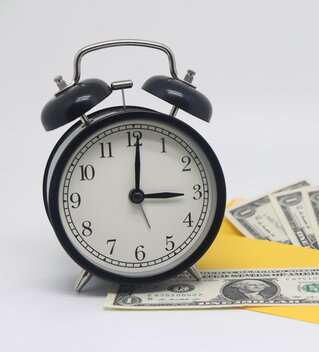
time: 3:00
